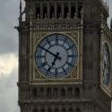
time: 6:50
